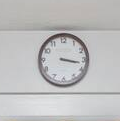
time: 3:16
